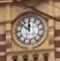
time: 11:51
